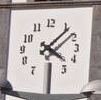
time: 4:07
